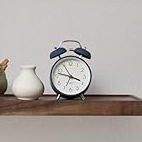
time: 3:47
